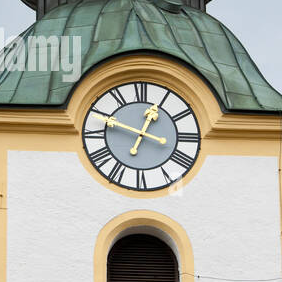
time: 12:48
